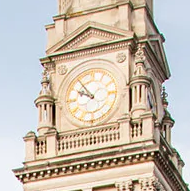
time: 9:53
